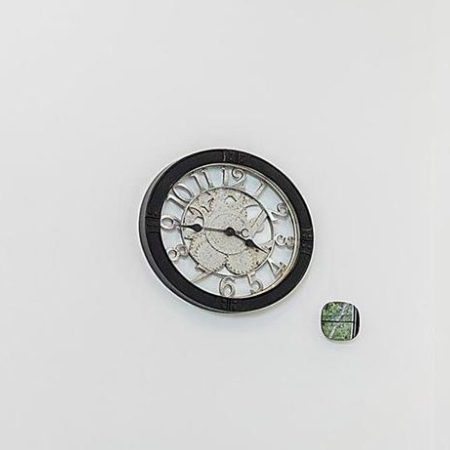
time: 3:44
